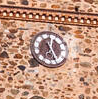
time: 12:26
